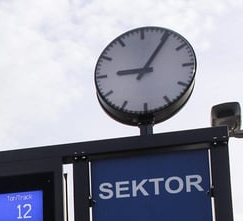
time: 9:05
